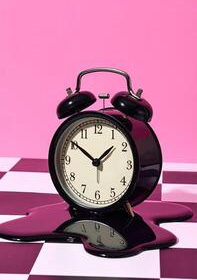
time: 1:50
